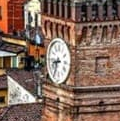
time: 8:33
